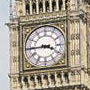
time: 3:44
